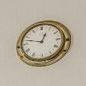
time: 12:47
